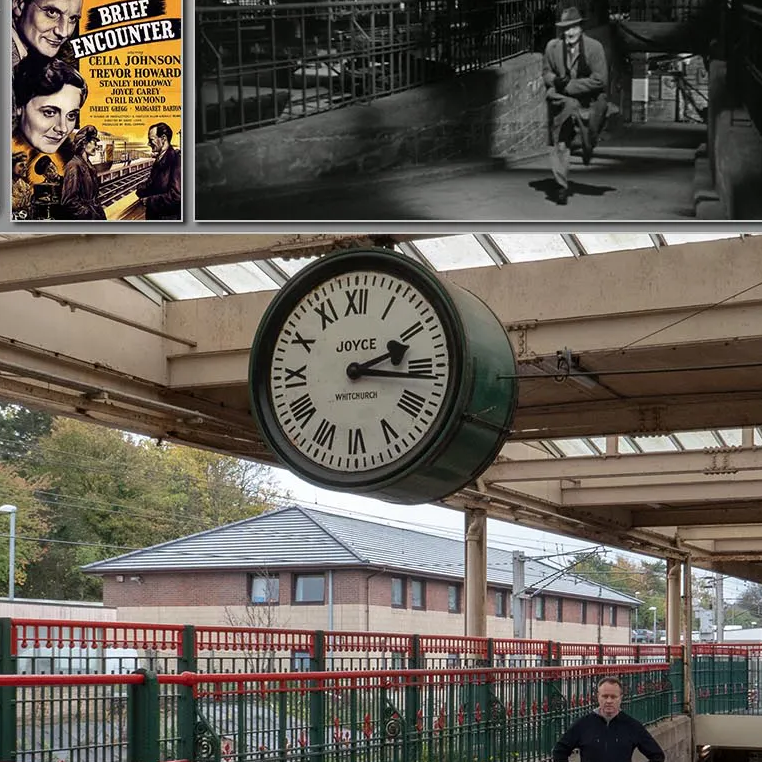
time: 2:16
